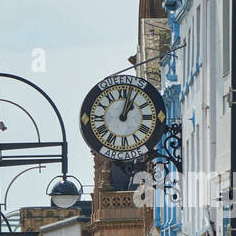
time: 1:02
